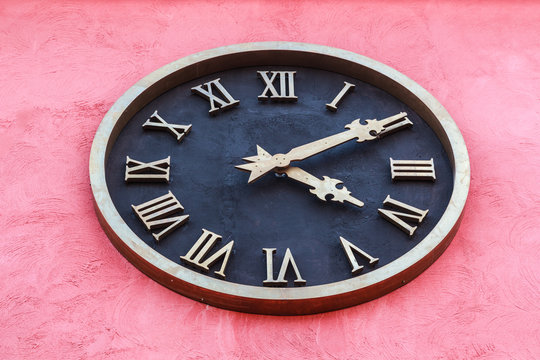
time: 4:09
